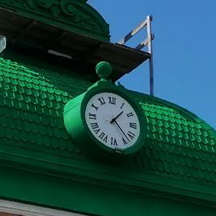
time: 1:22
